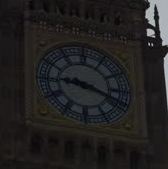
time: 9:18
